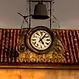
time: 5:06
